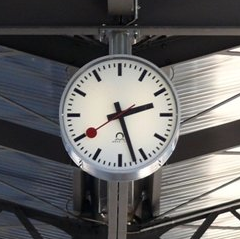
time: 2:27
